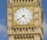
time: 4:39
